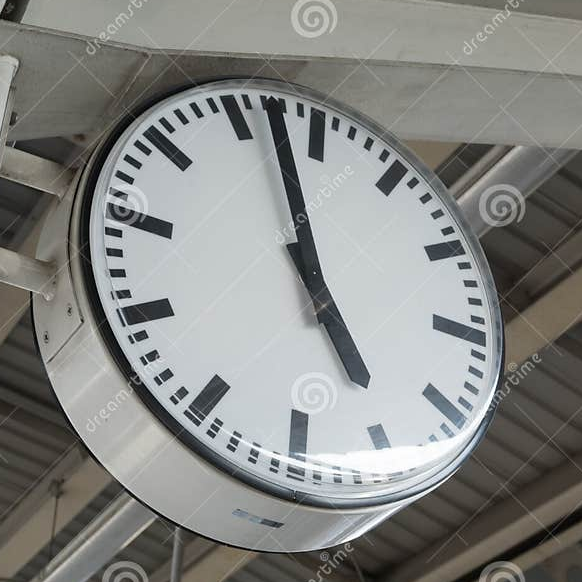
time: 4:57
